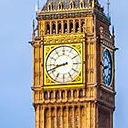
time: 8:41
